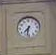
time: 7:32
